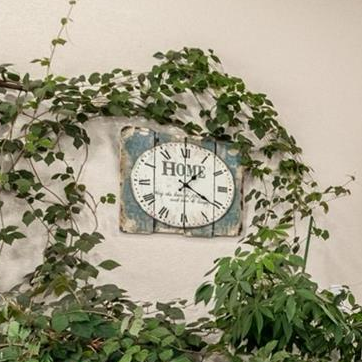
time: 1:20
